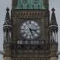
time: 3:27
